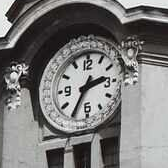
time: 2:35
